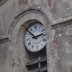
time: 2:52
